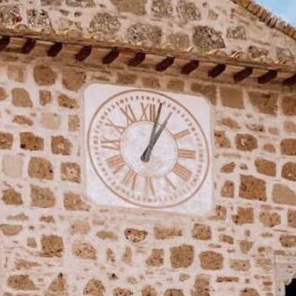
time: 1:02
